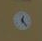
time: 12:23
